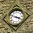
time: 3:48
